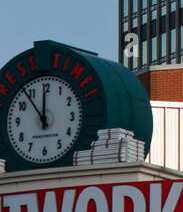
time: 11:53
